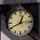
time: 12:40
